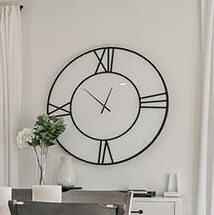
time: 12:52
